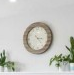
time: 3:23
